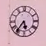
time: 5:36
